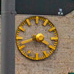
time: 8:19
